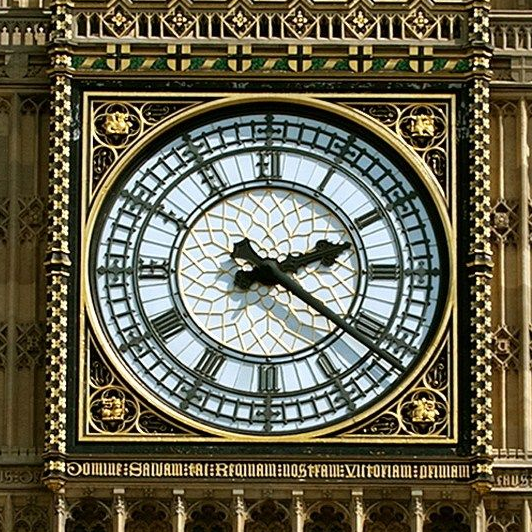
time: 2:21
